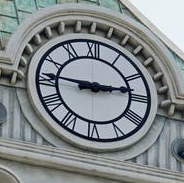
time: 2:45
